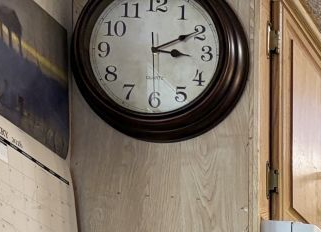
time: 3:10
